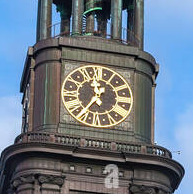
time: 11:36
